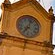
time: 7:03
